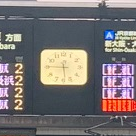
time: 5:45
